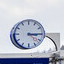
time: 3:14
